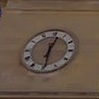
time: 12:29
